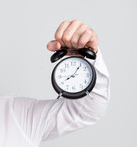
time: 8:06
